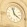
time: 11:21
